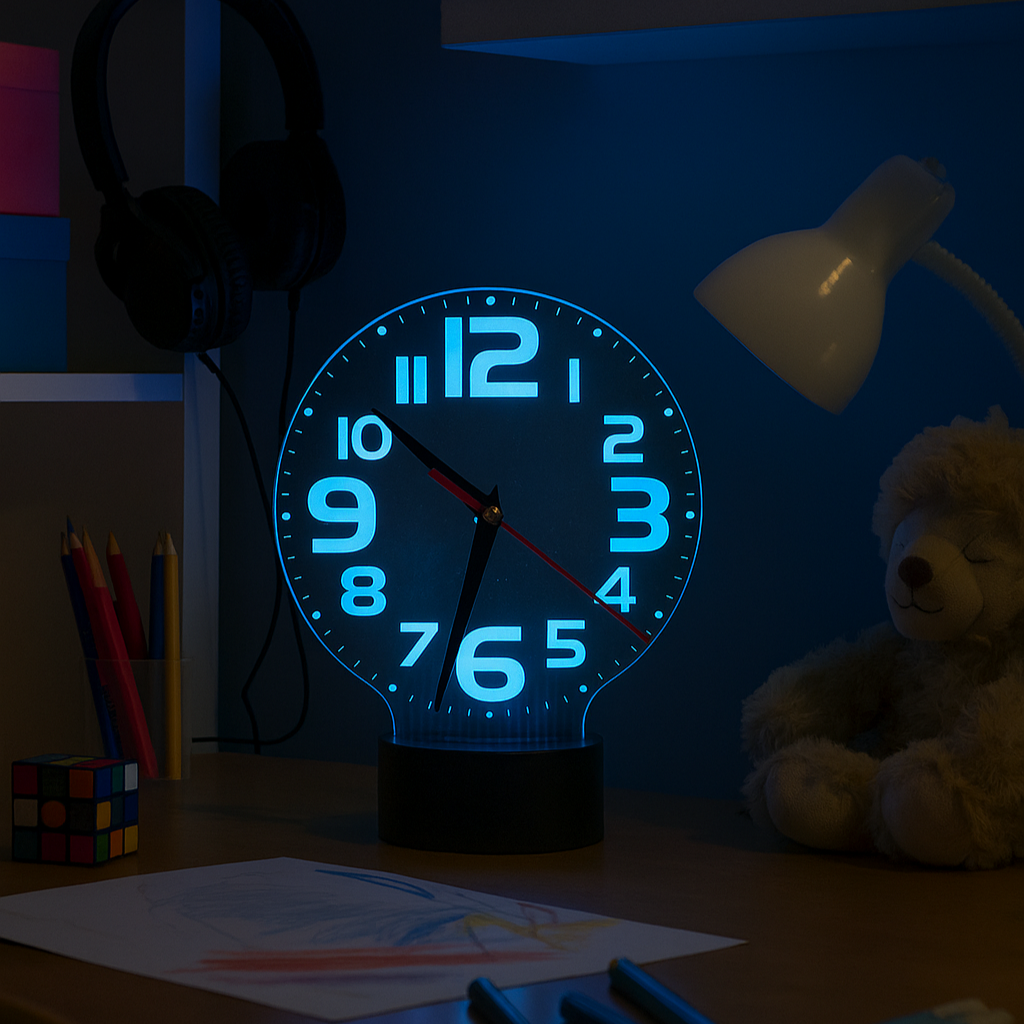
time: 10:32
